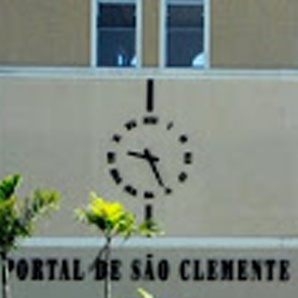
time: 9:25
